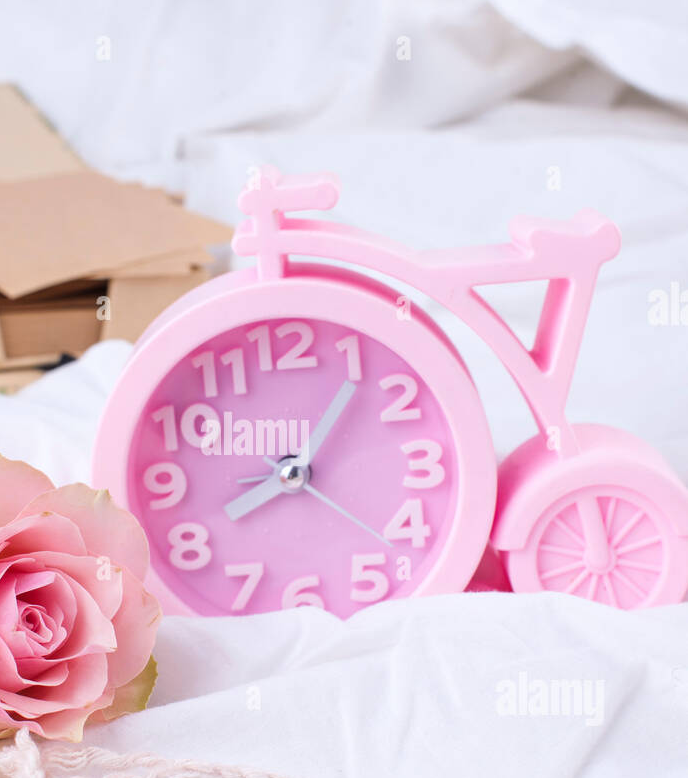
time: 8:06
